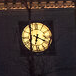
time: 6:18
